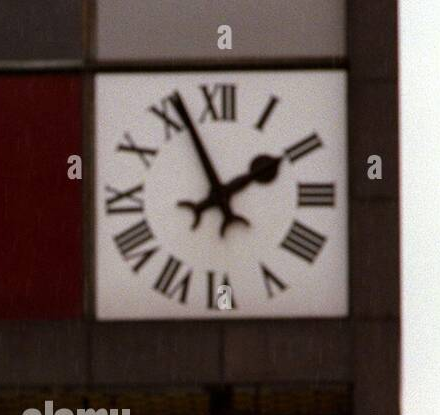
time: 1:56
